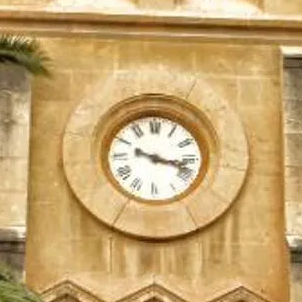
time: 3:17
